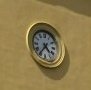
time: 4:36
